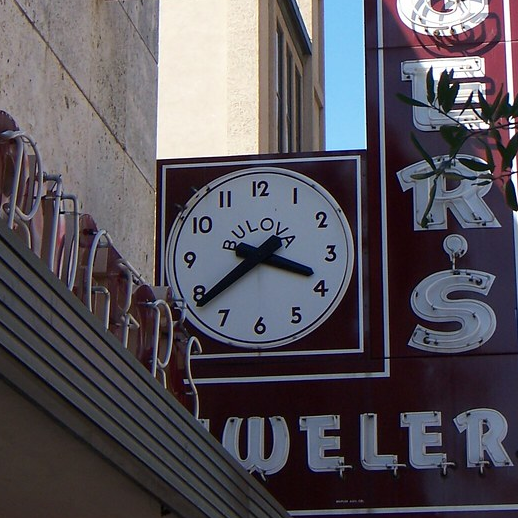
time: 3:38
